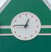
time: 12:45
